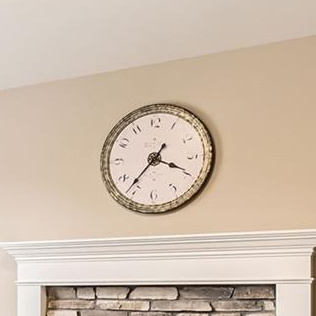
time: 3:36
